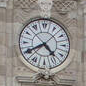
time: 4:40
